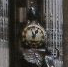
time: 12:57
